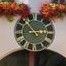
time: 2:54
